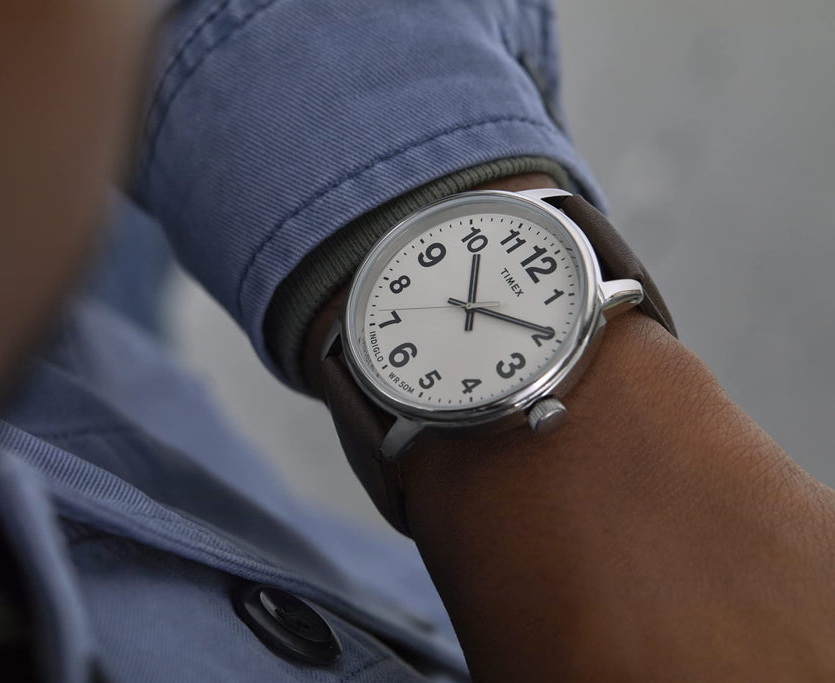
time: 12:19
